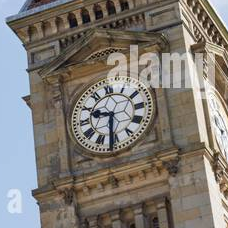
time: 9:31
